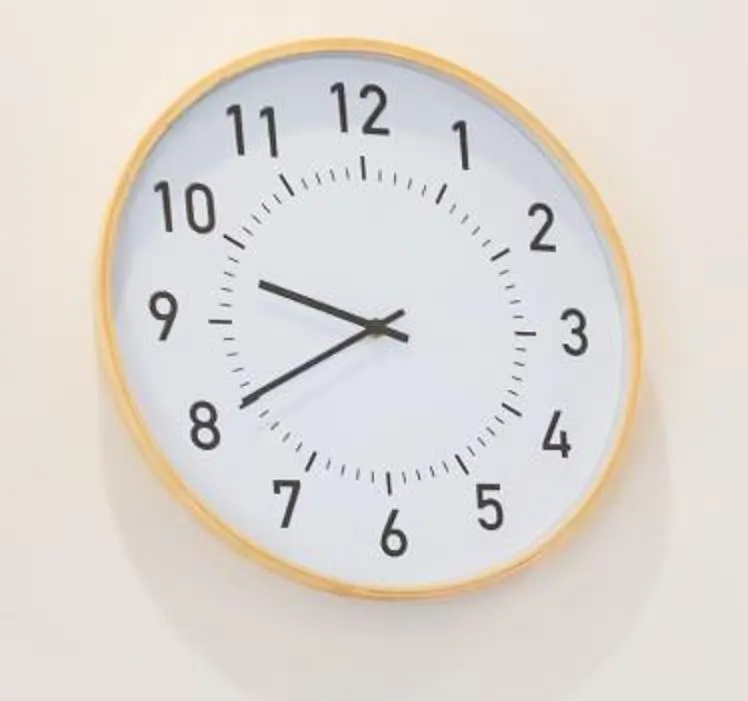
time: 9:40
